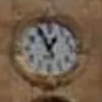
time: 12:56
